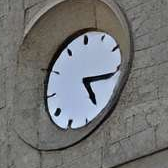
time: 5:16
